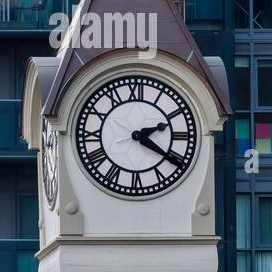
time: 2:20
